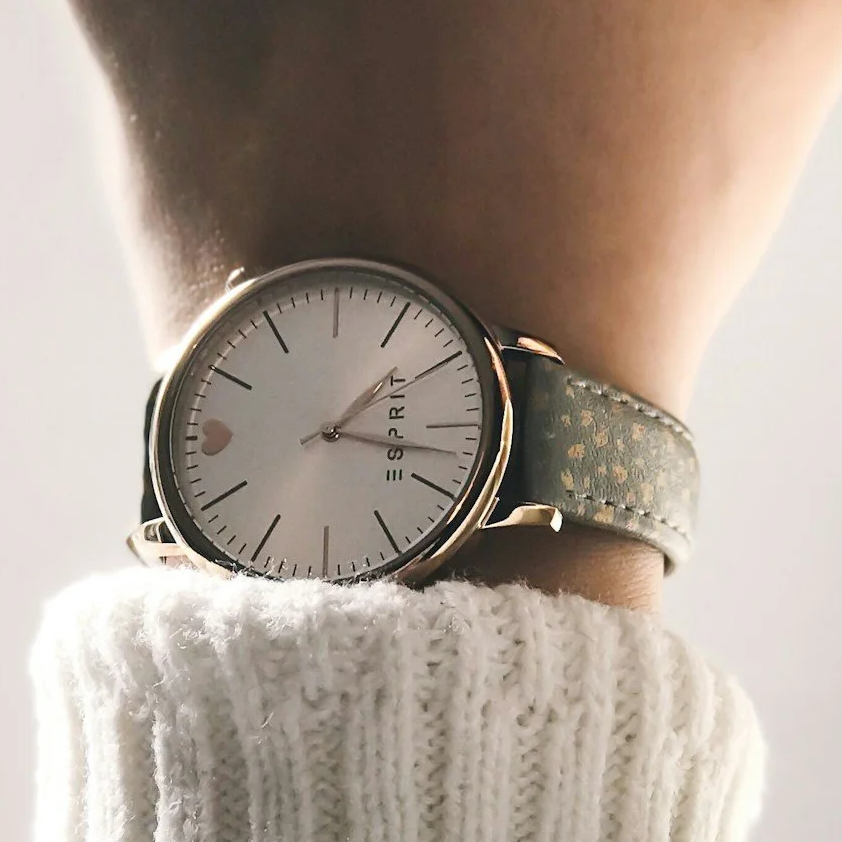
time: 1:18
